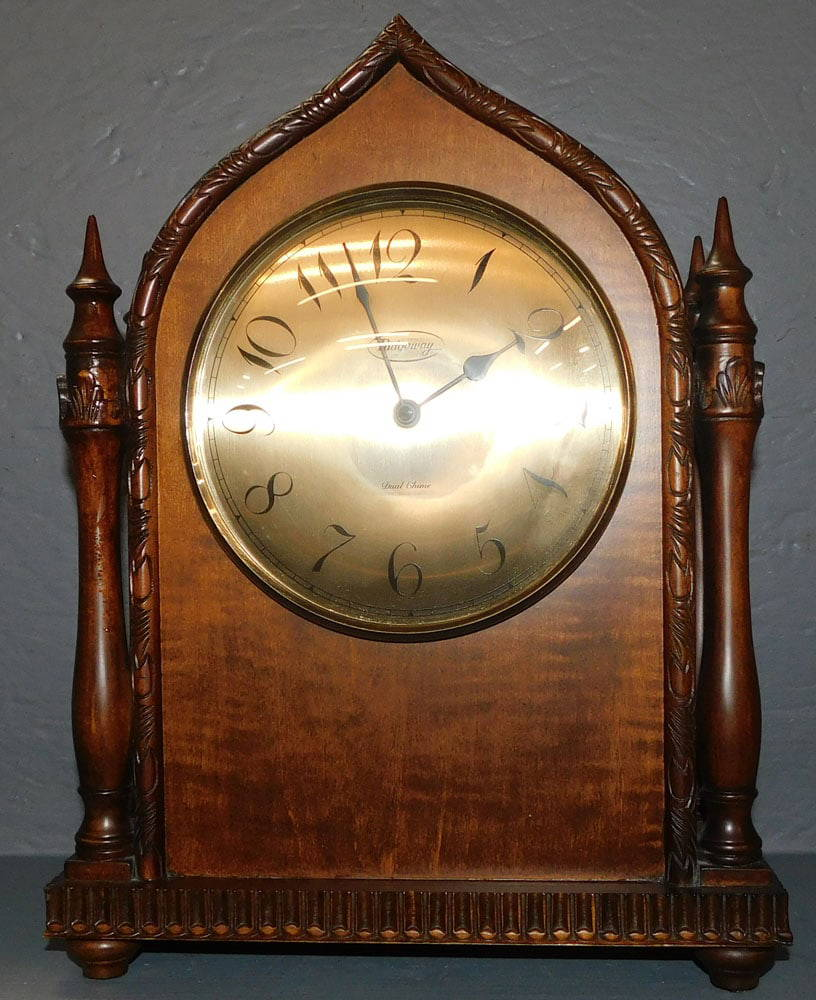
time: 1:57
